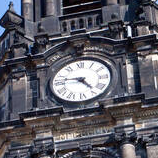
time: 4:46
